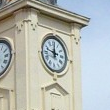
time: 11:47
